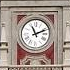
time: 11:11
